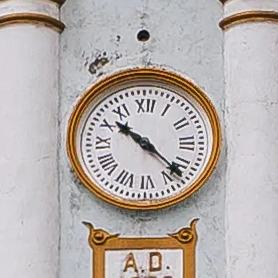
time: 10:22
